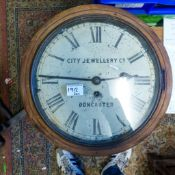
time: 2:45
